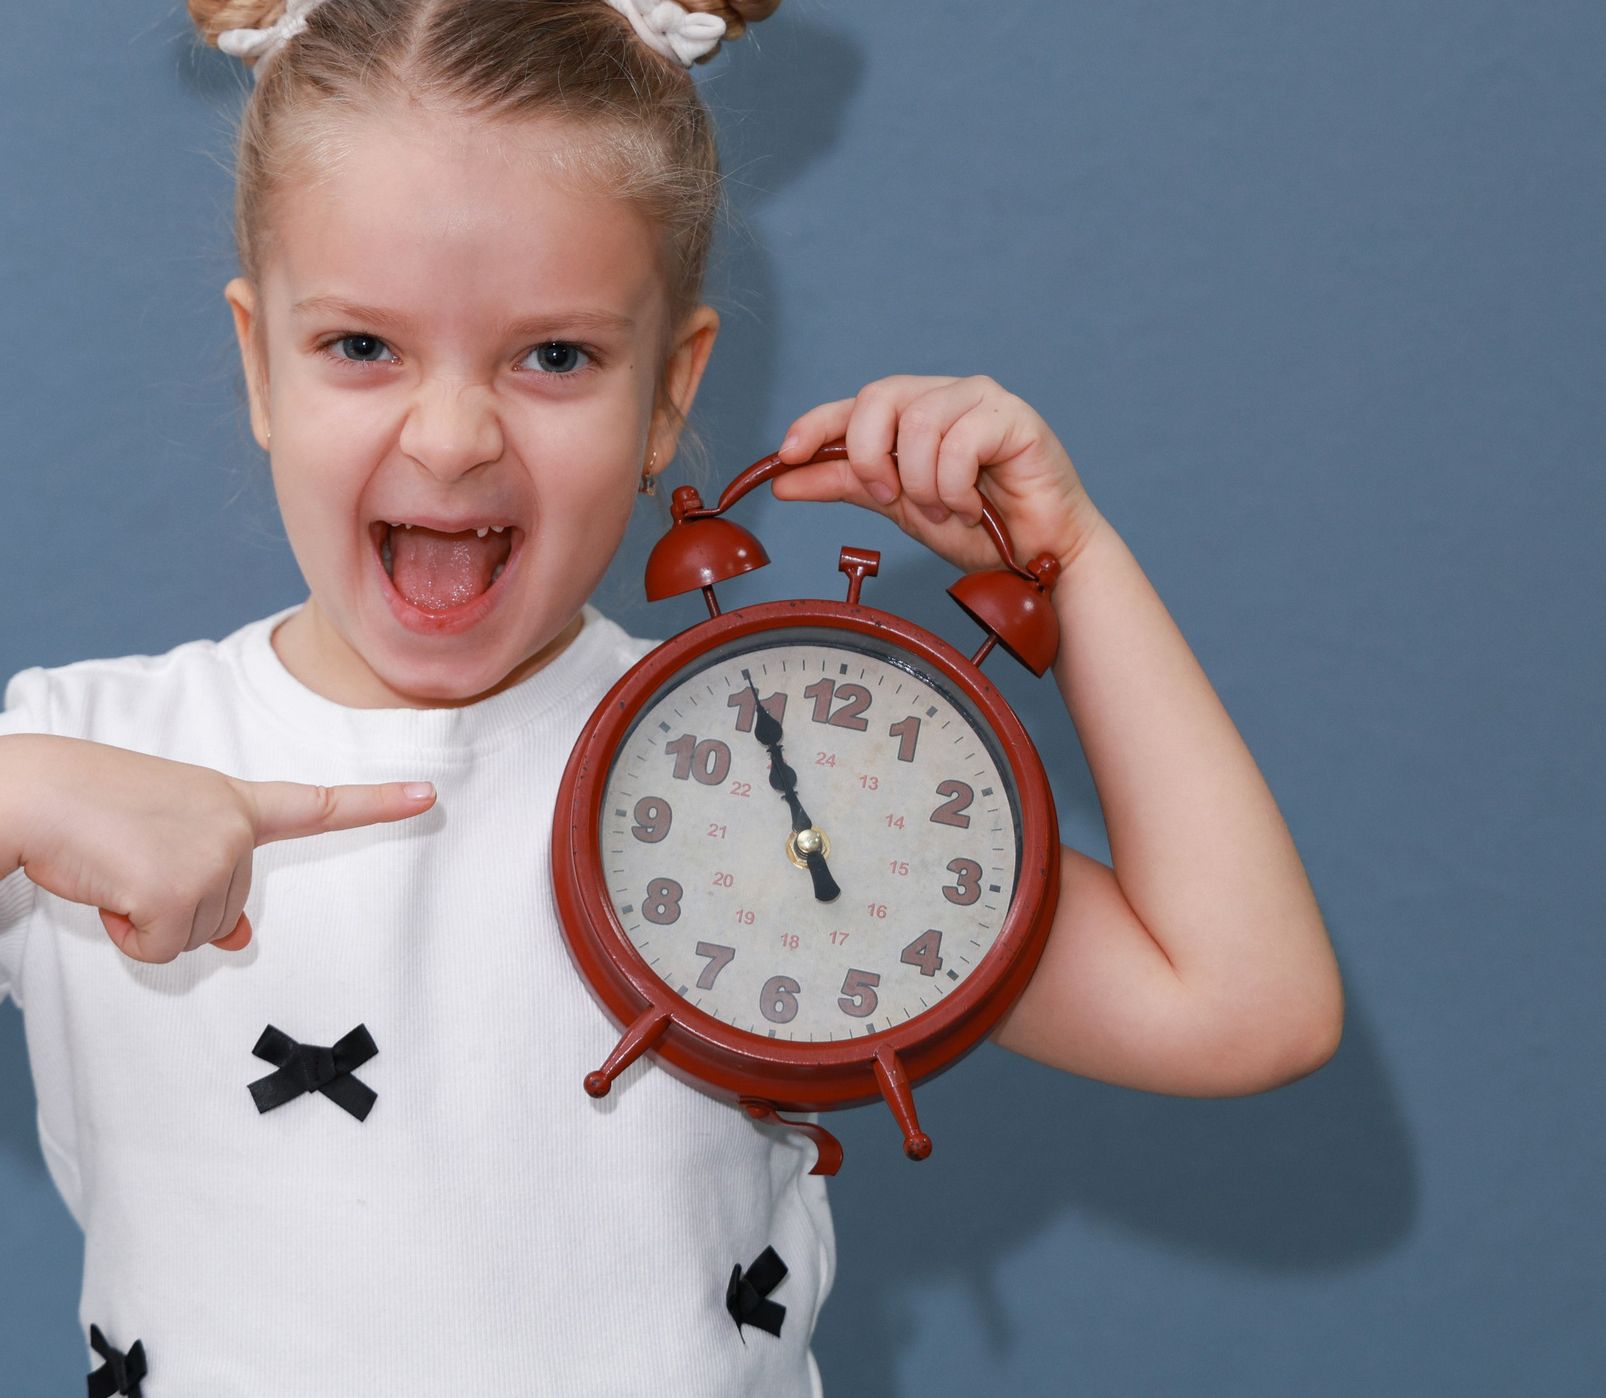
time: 10:55
